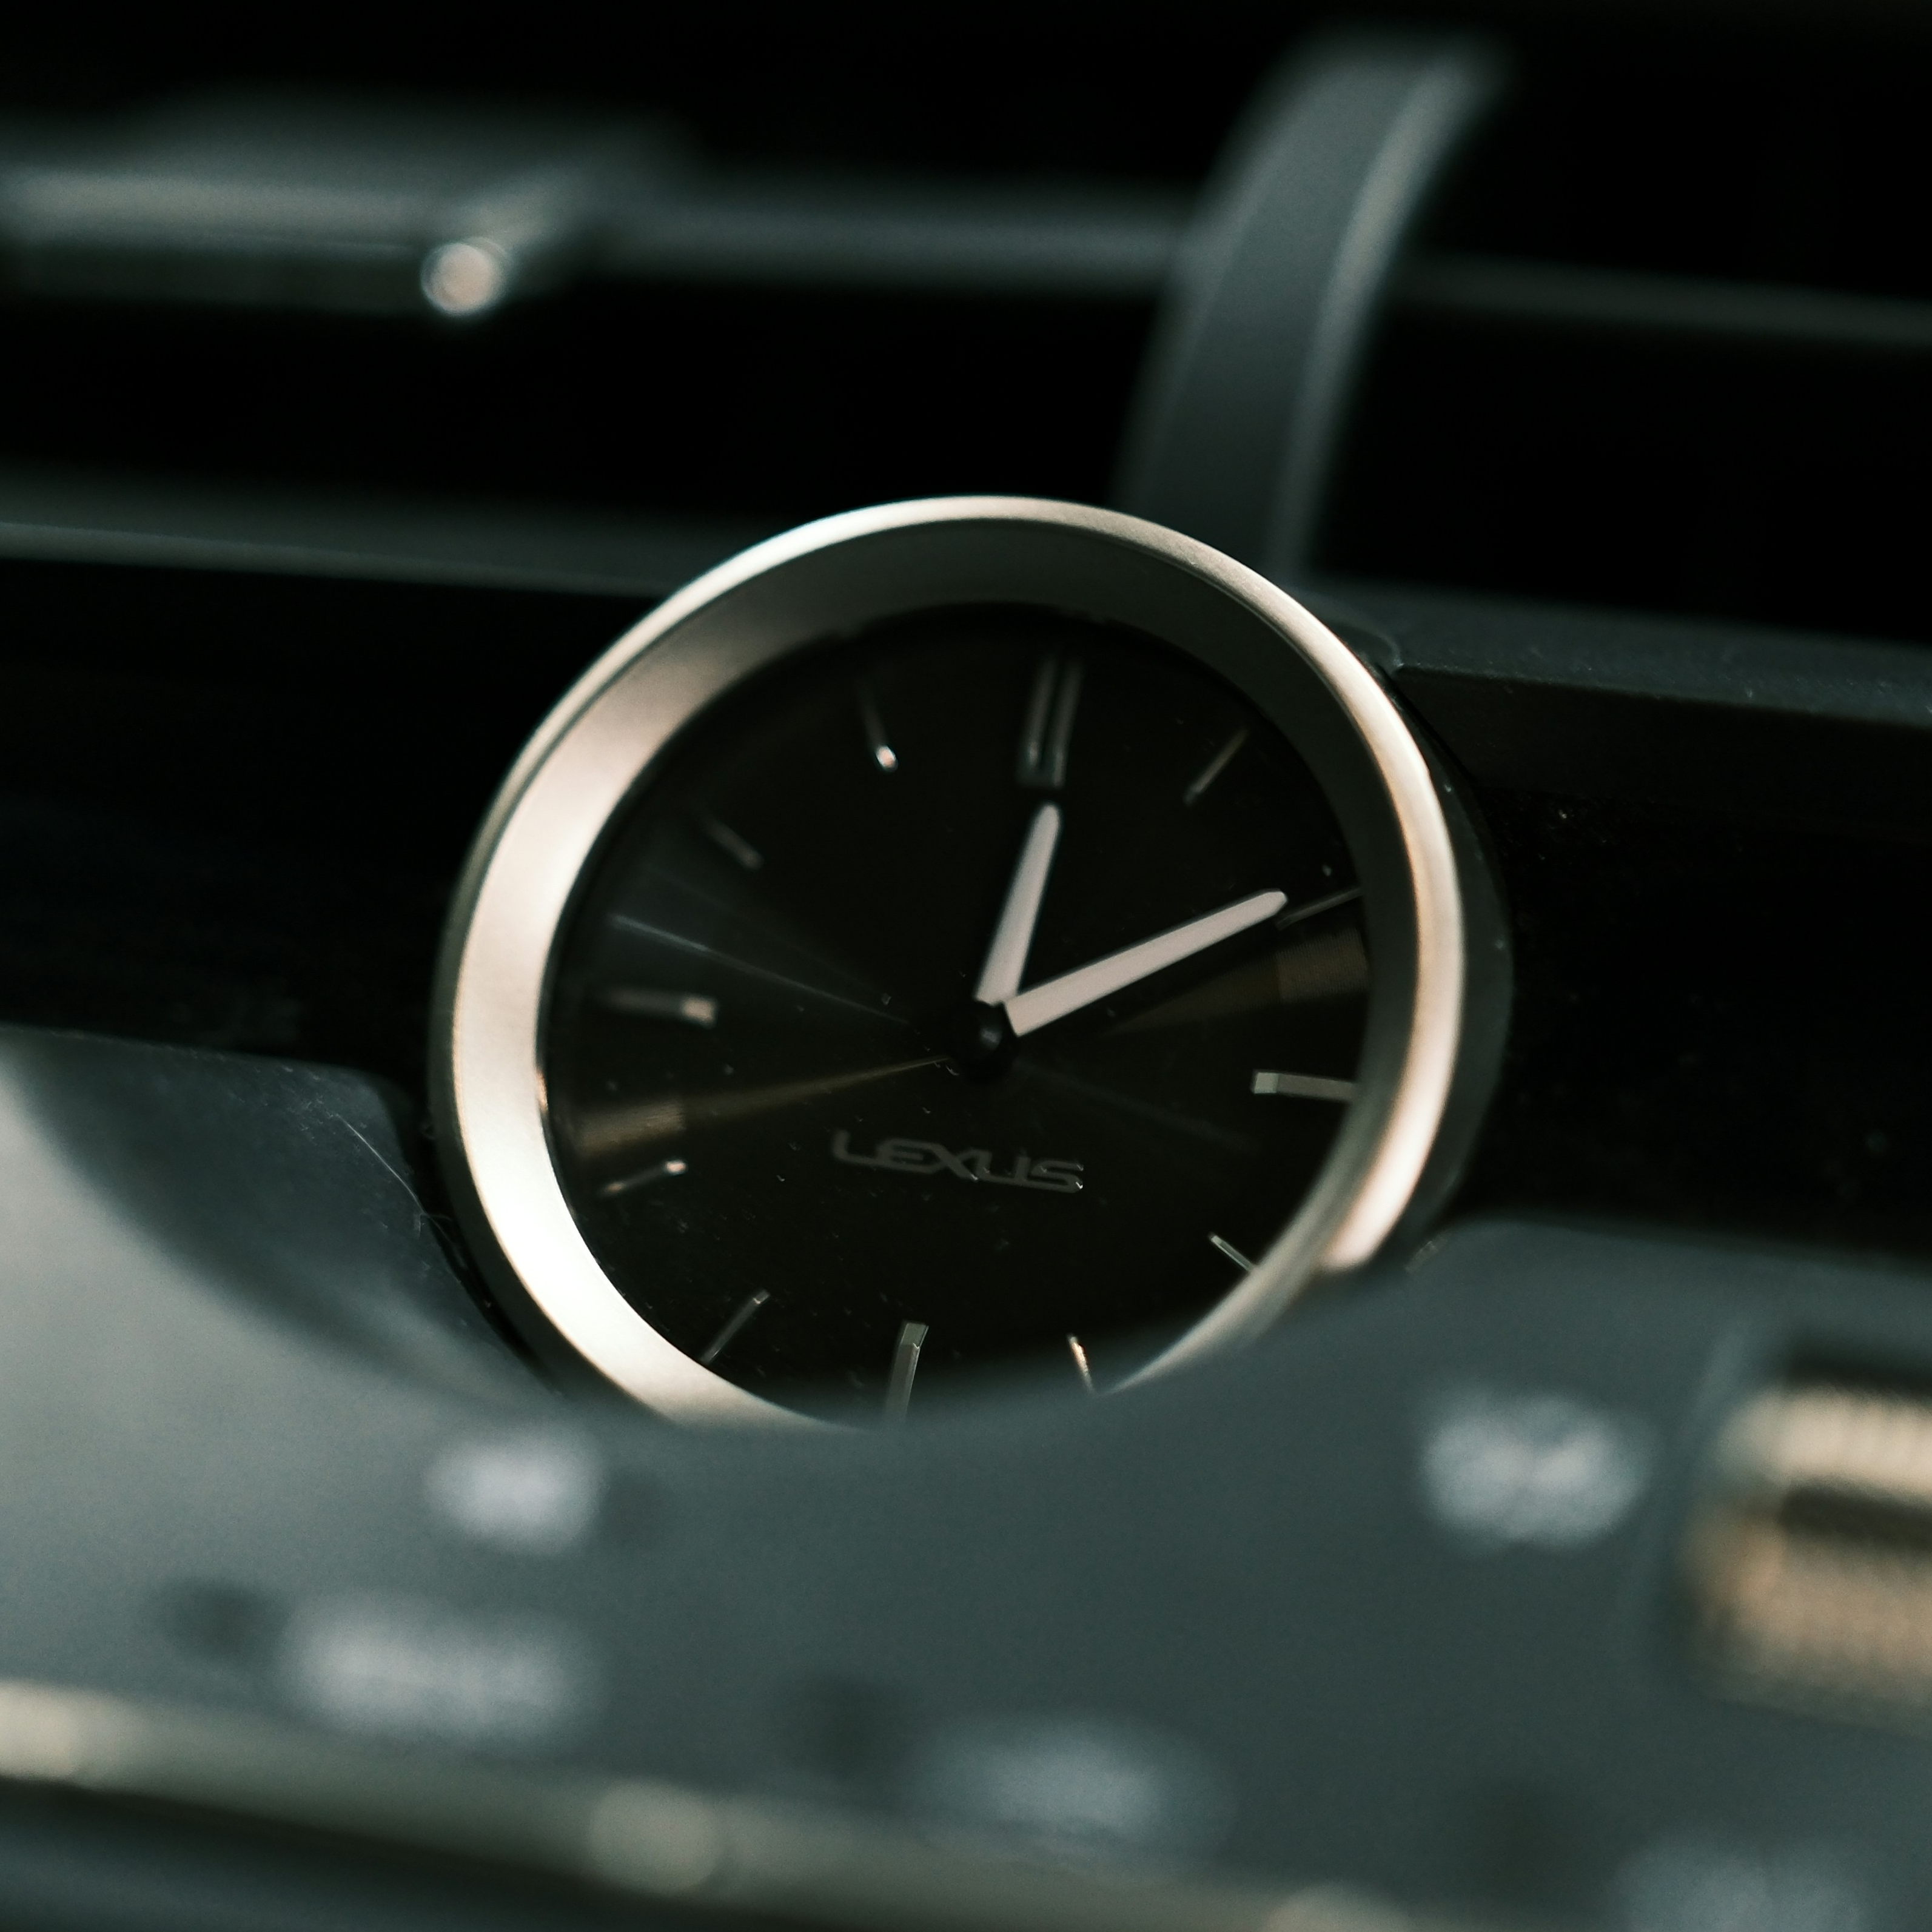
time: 12:09
